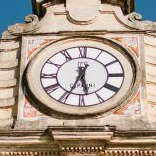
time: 5:33
